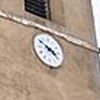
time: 3:50
